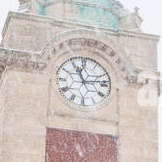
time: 11:13
